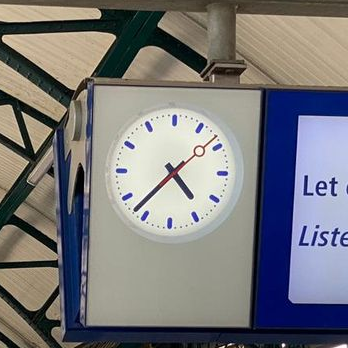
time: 4:37
